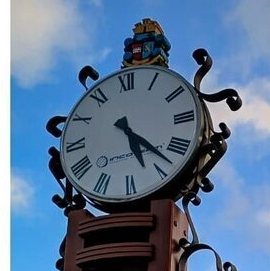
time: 5:22
